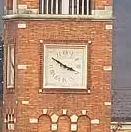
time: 3:50
